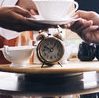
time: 10:06
